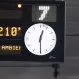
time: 12:29
